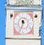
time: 11:33
